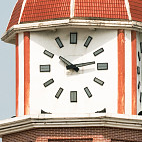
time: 10:13
